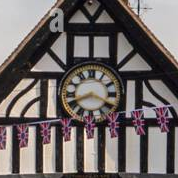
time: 8:18
